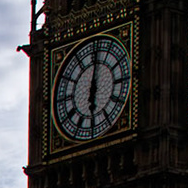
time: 6:01
